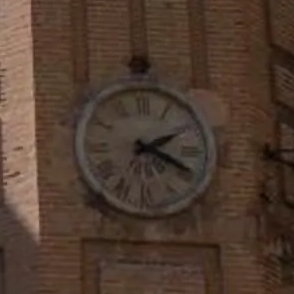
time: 2:19
